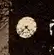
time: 4:38
